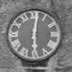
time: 6:01
